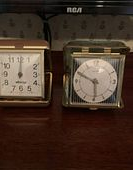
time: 5:49
